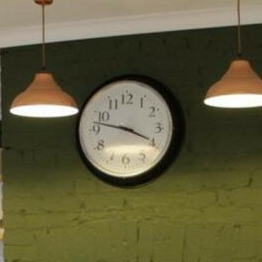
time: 3:47
